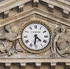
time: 4:31
